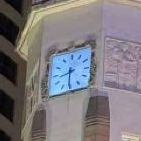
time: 8:30
